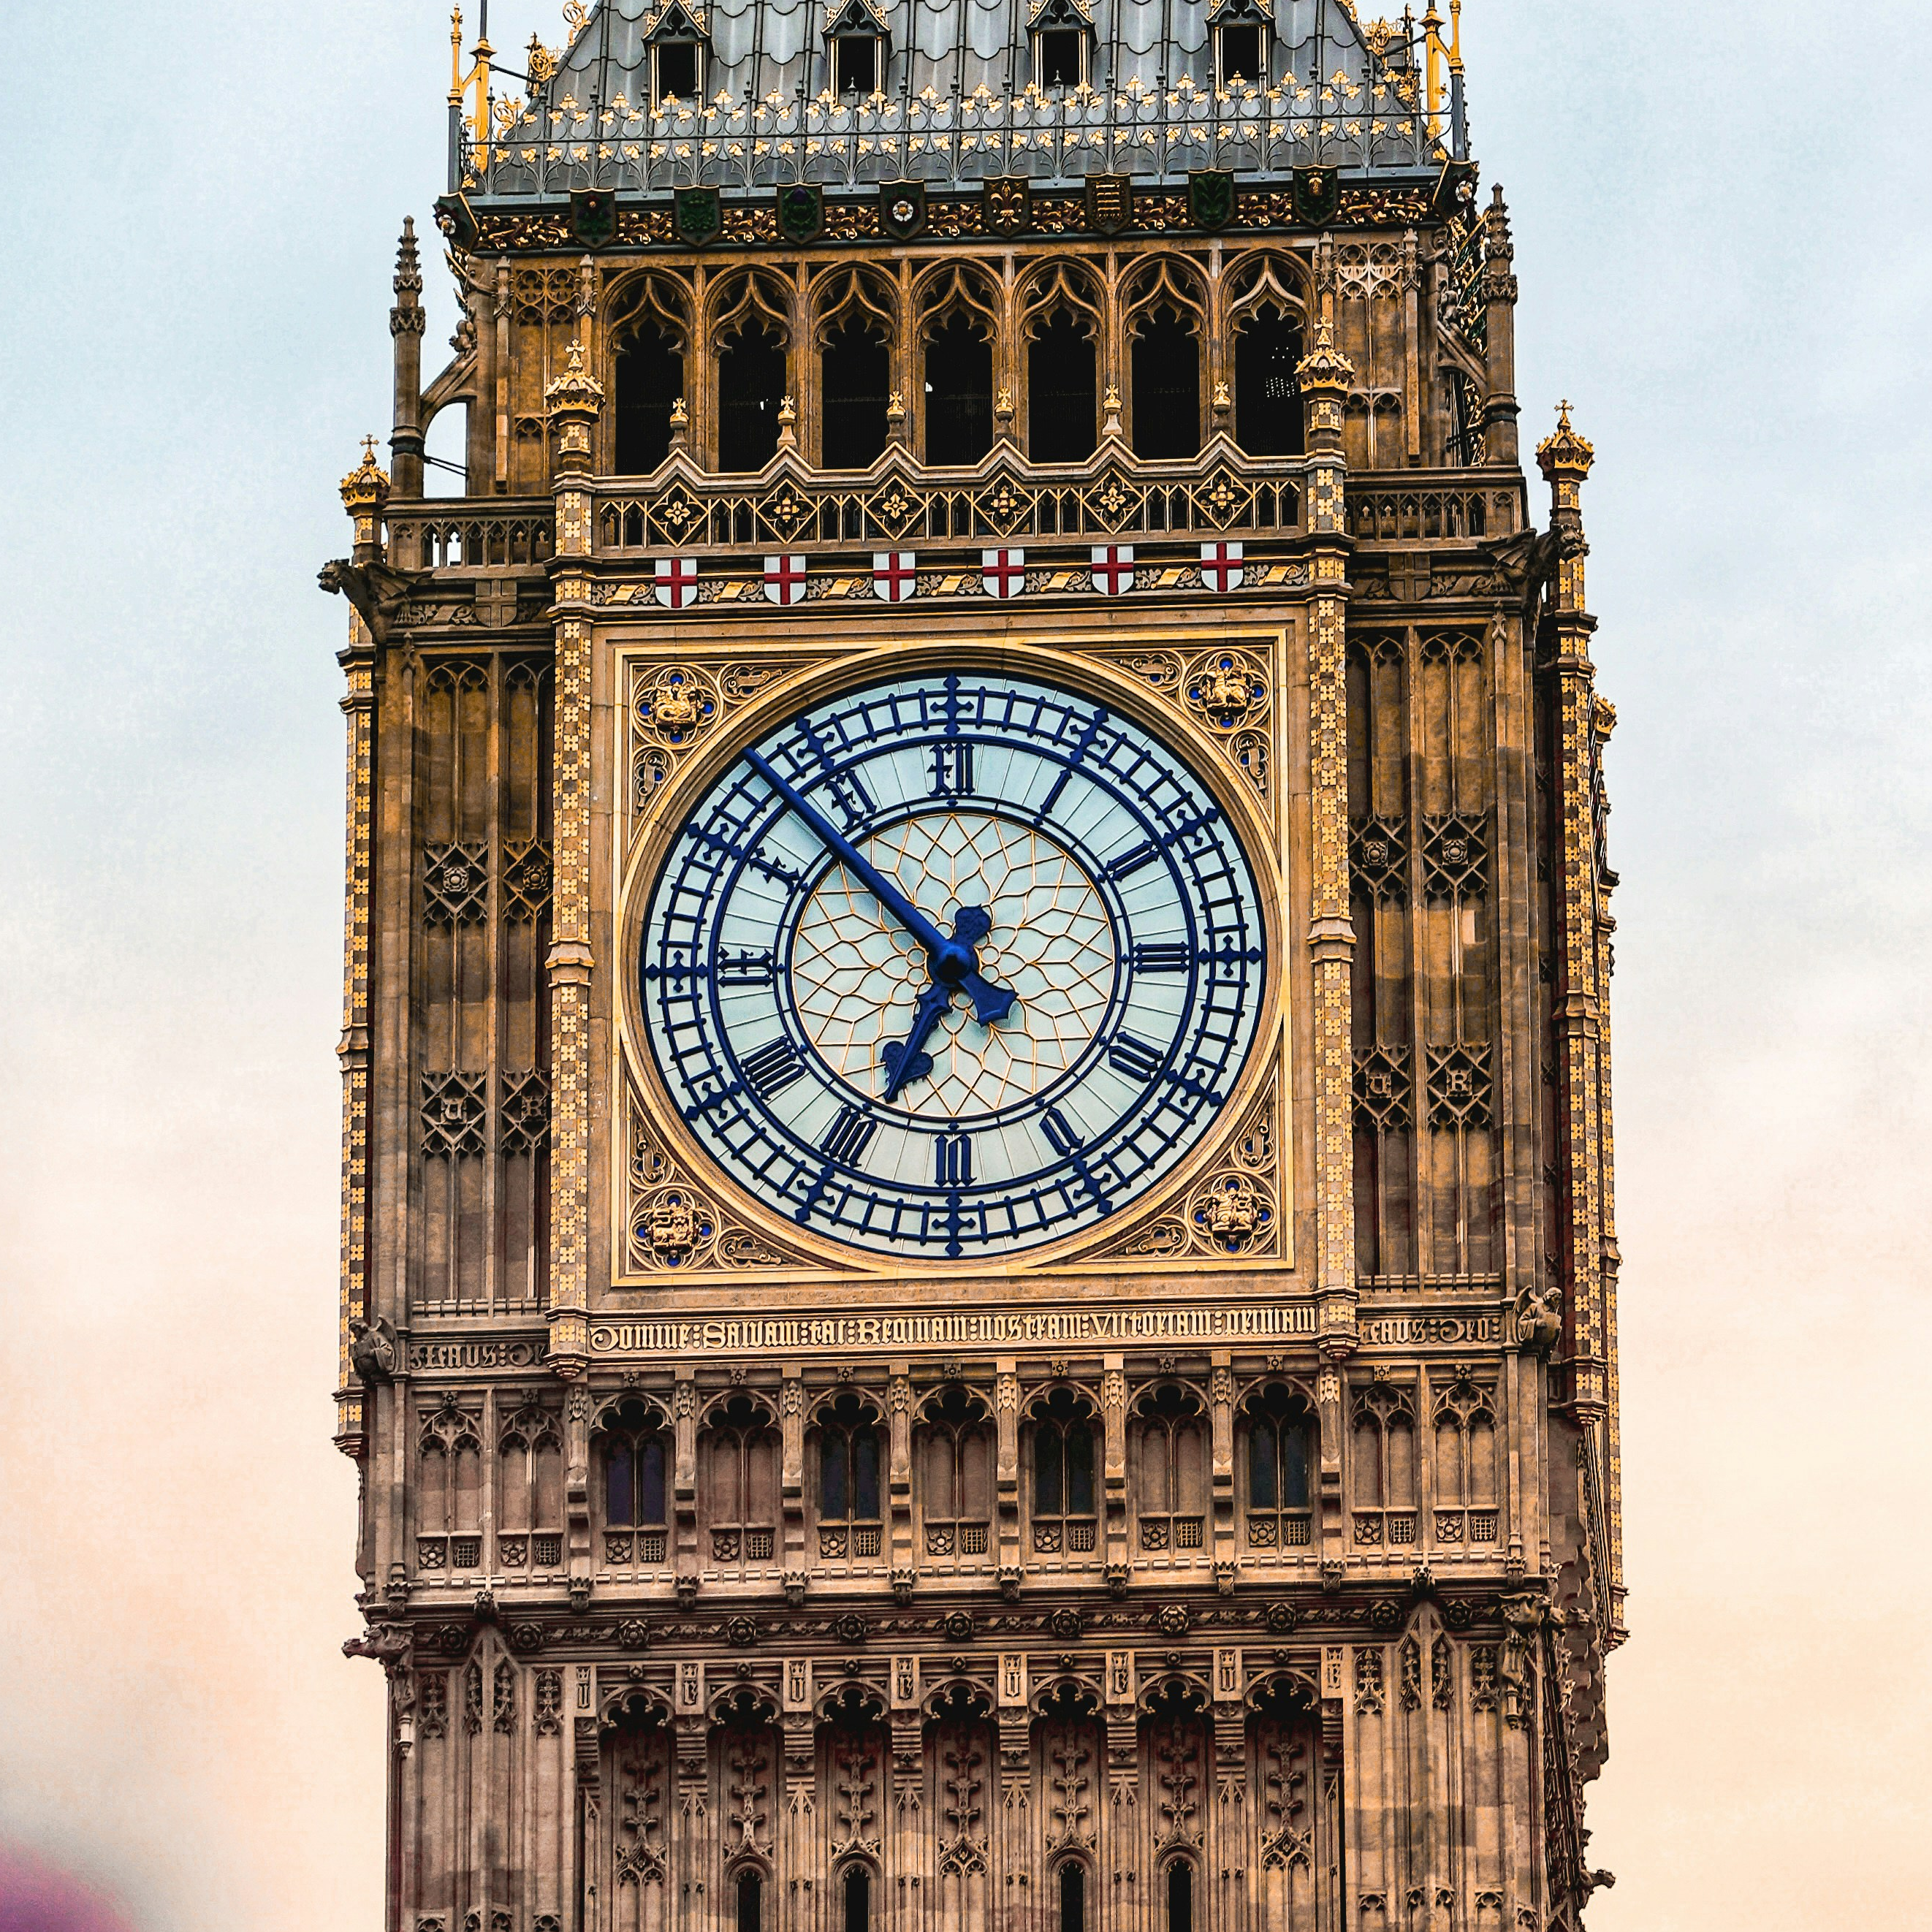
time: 6:52
